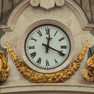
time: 12:19
